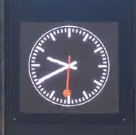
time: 9:40
